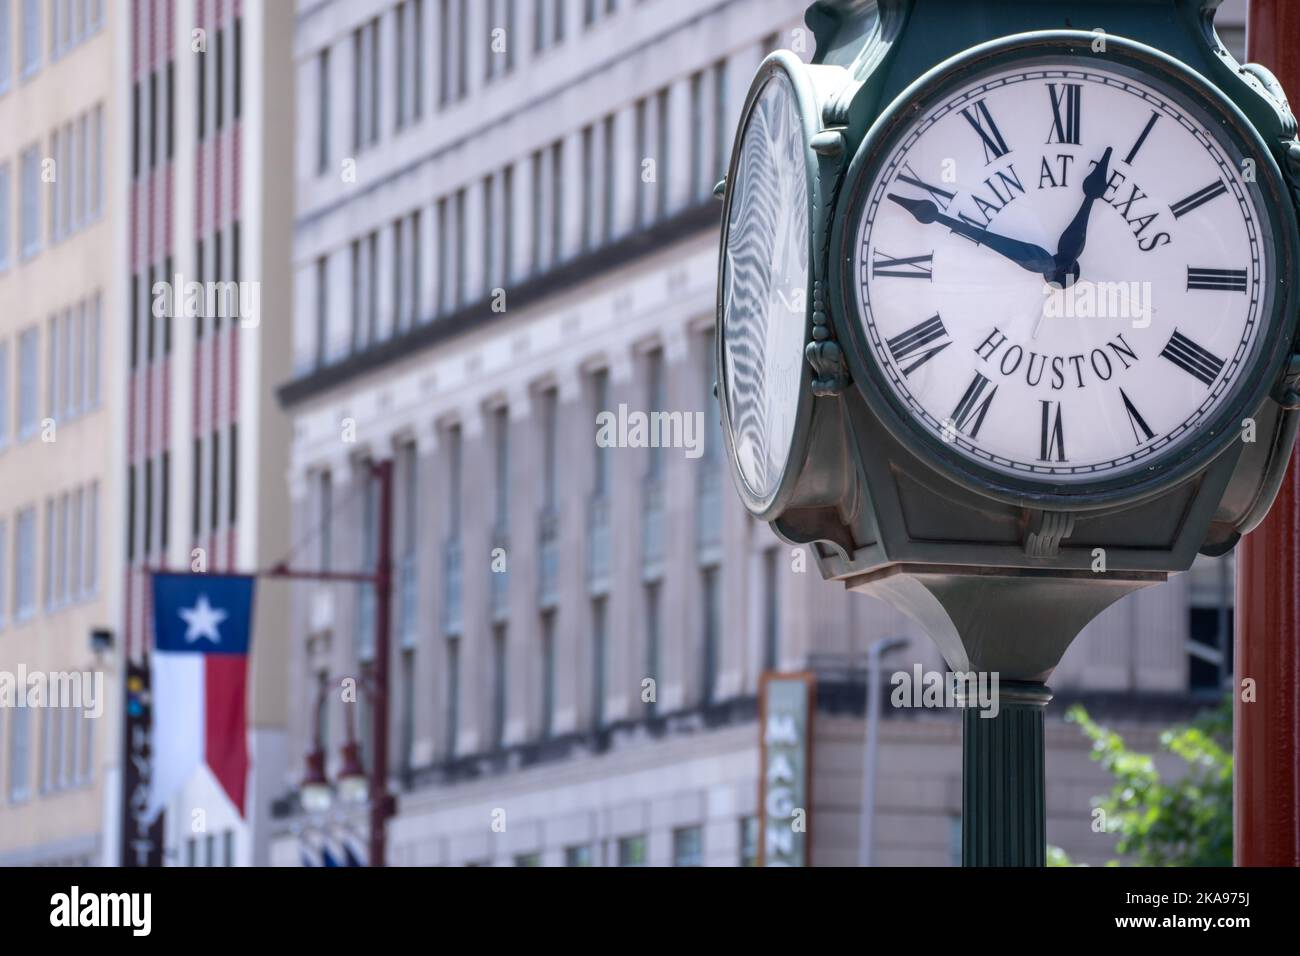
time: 12:48
